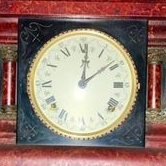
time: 12:08
